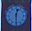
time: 12:29
